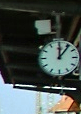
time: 12:06
